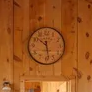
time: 10:28
